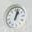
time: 1:02
